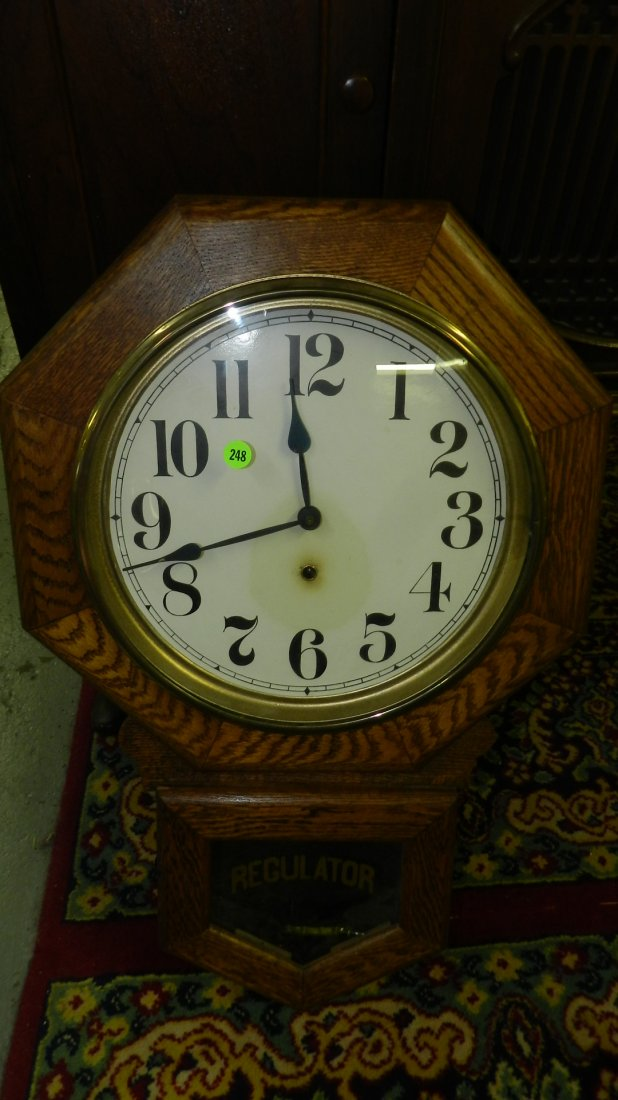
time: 11:42
